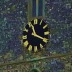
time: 11:19
